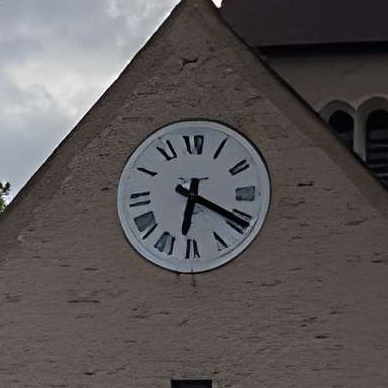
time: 6:19
